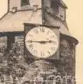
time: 2:45
